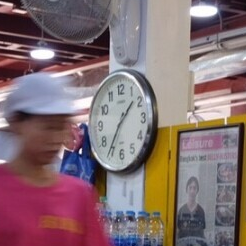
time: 1:35
